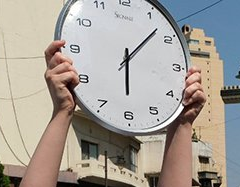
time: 6:07
